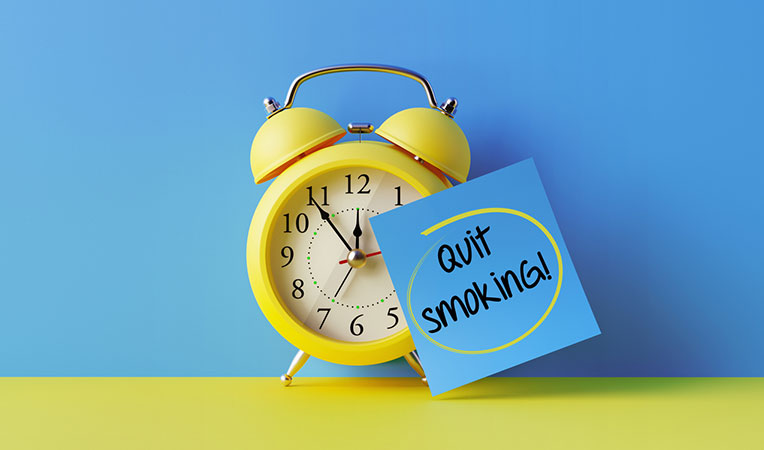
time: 11:54
